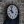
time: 9:57
